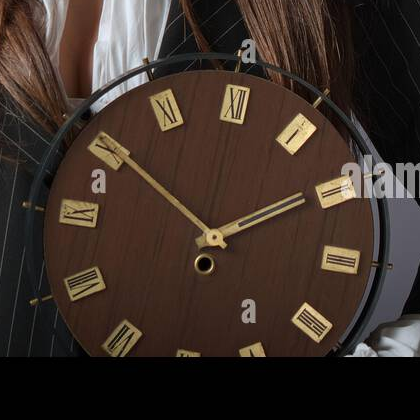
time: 1:50
